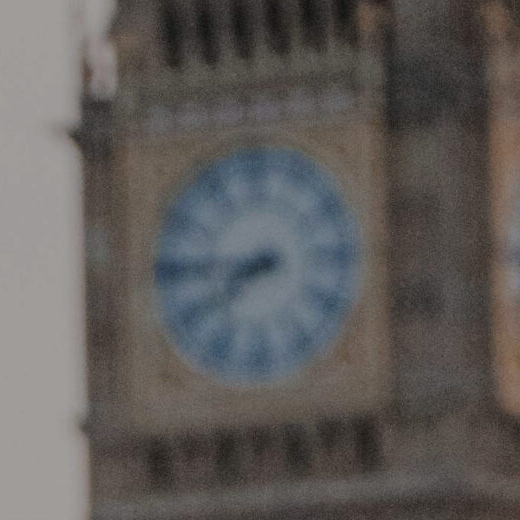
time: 7:45
